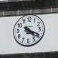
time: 4:19
